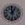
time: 12:58
